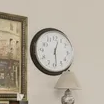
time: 12:28
